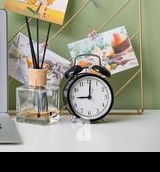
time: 9:01
